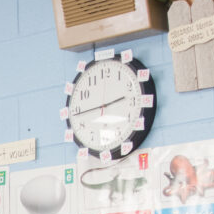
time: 2:43
